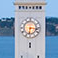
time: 6:16
